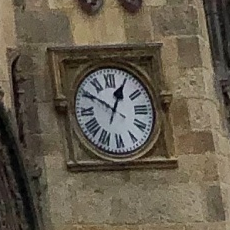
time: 12:50
